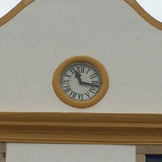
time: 11:16
